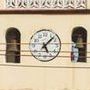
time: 5:07
